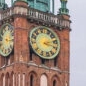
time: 2:18
